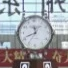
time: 11:41
